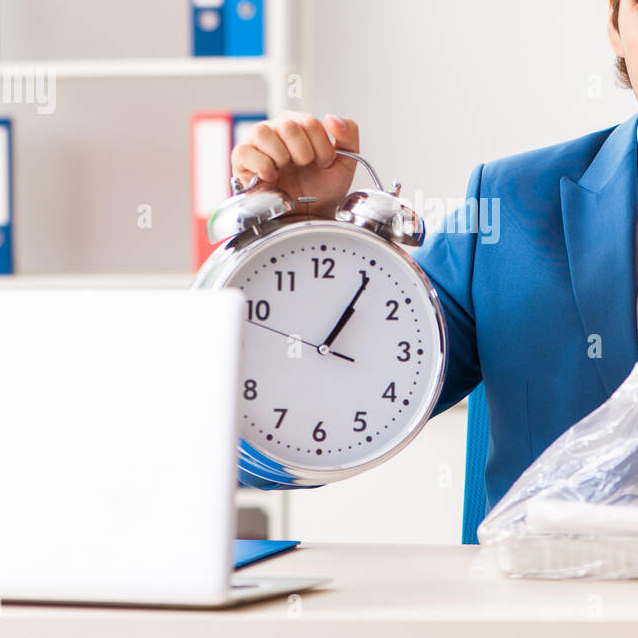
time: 1:05
